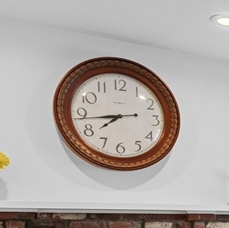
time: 7:43
